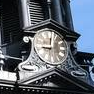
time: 9:01
